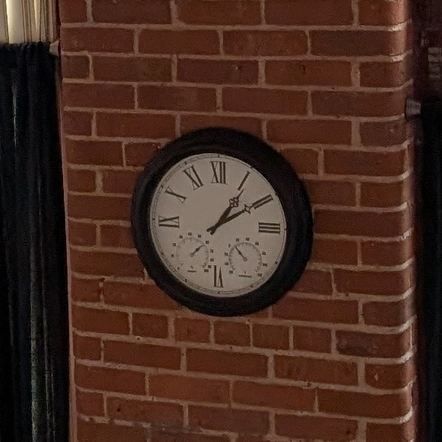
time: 1:09
